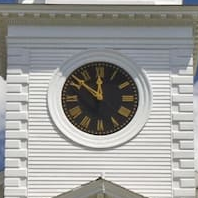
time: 11:51
